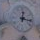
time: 12:16
